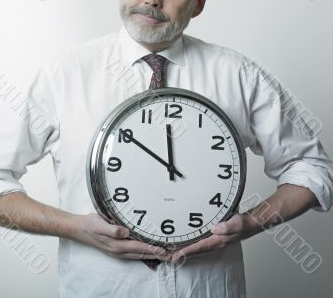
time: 11:50
